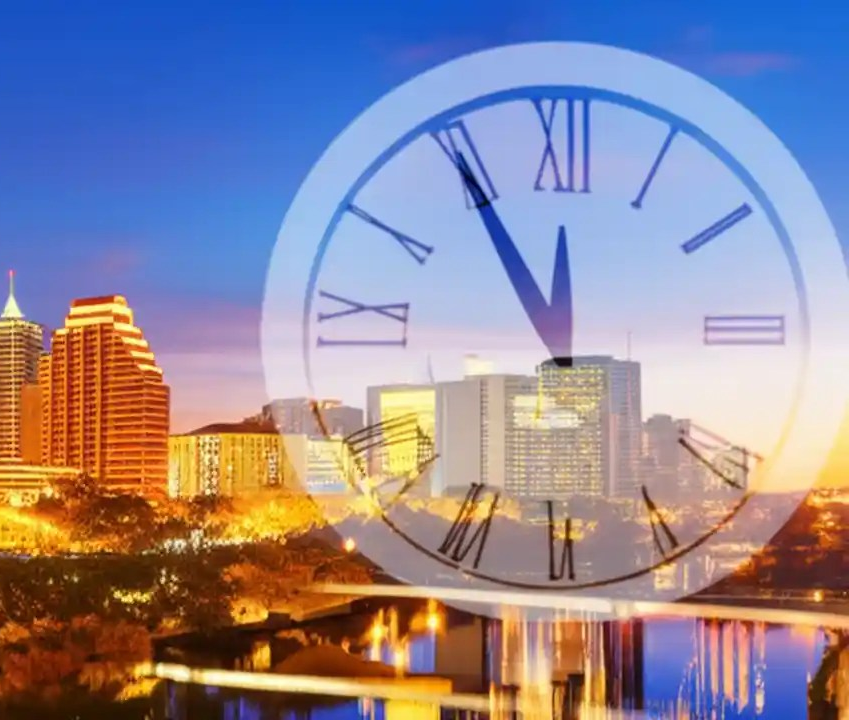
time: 11:54
